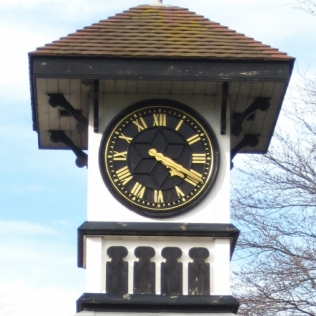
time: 4:19
